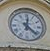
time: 12:21
